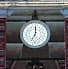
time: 7:00
